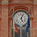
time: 5:03
